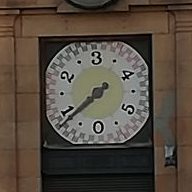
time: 7:38
